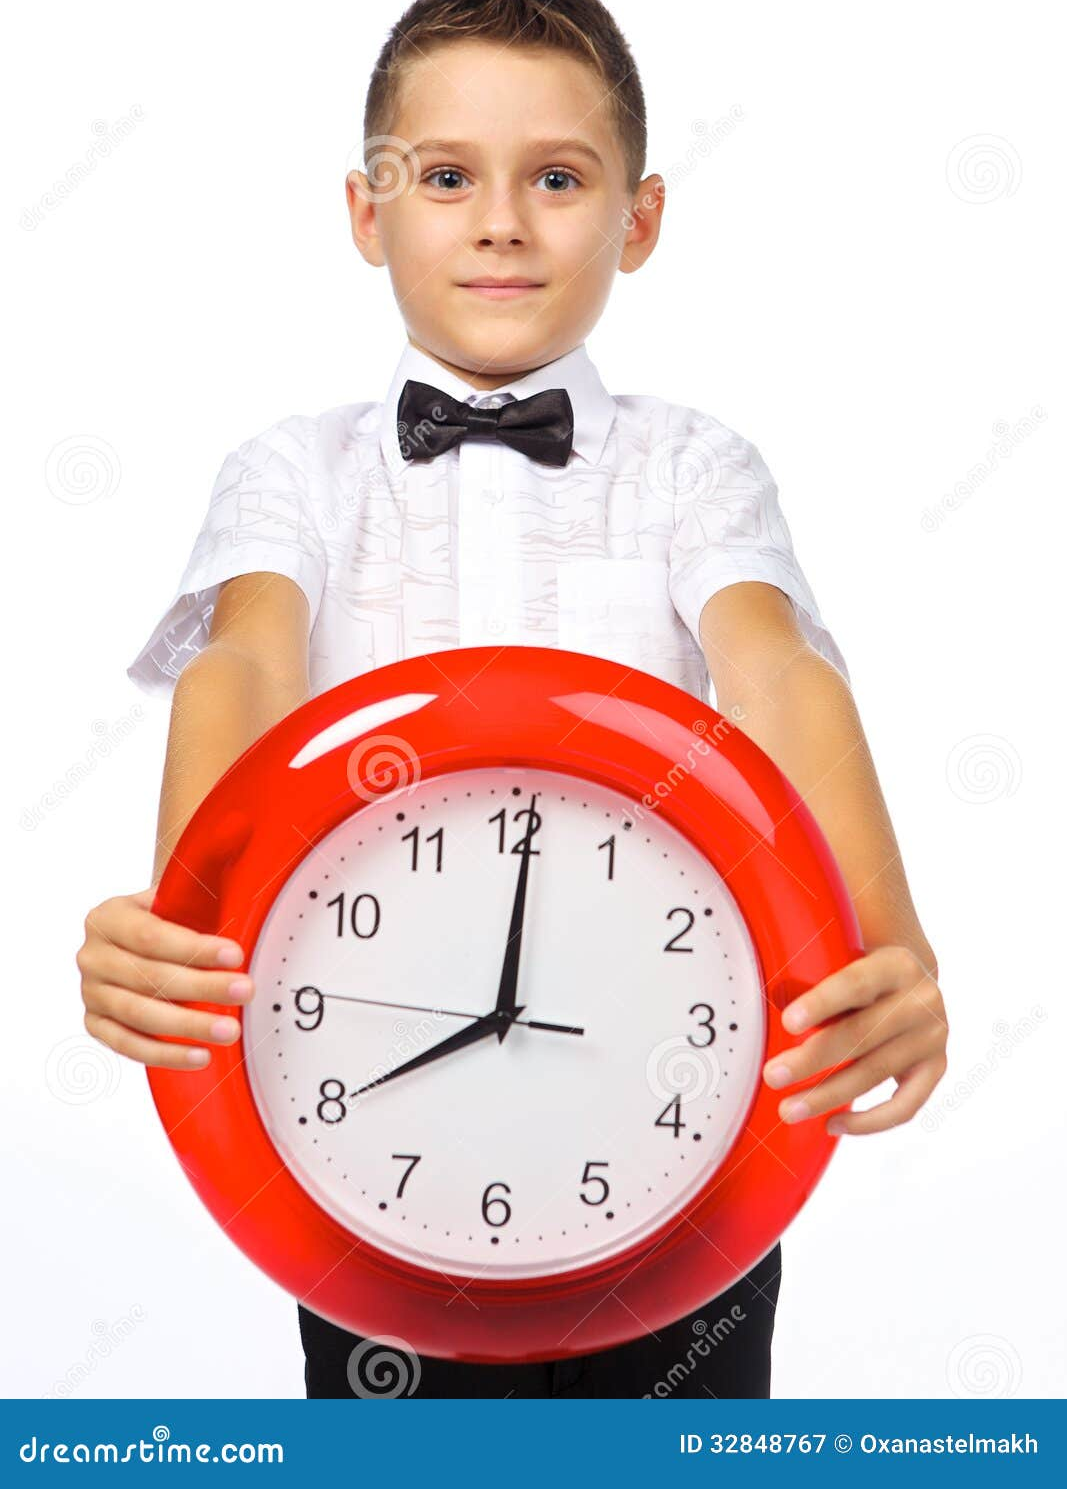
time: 8:00
